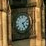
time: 5:11
